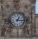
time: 1:16
